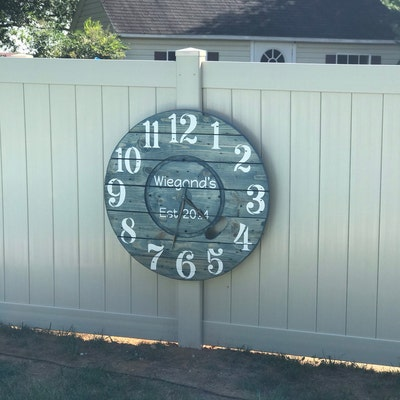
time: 4:32
